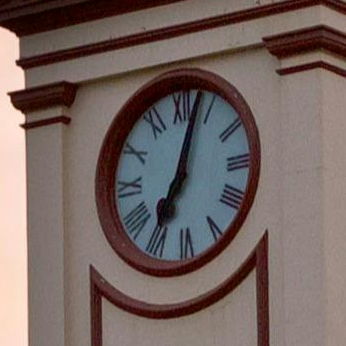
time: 7:02
